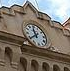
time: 11:39
